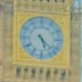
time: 5:22
